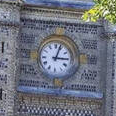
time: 3:03
